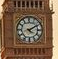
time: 4:09
